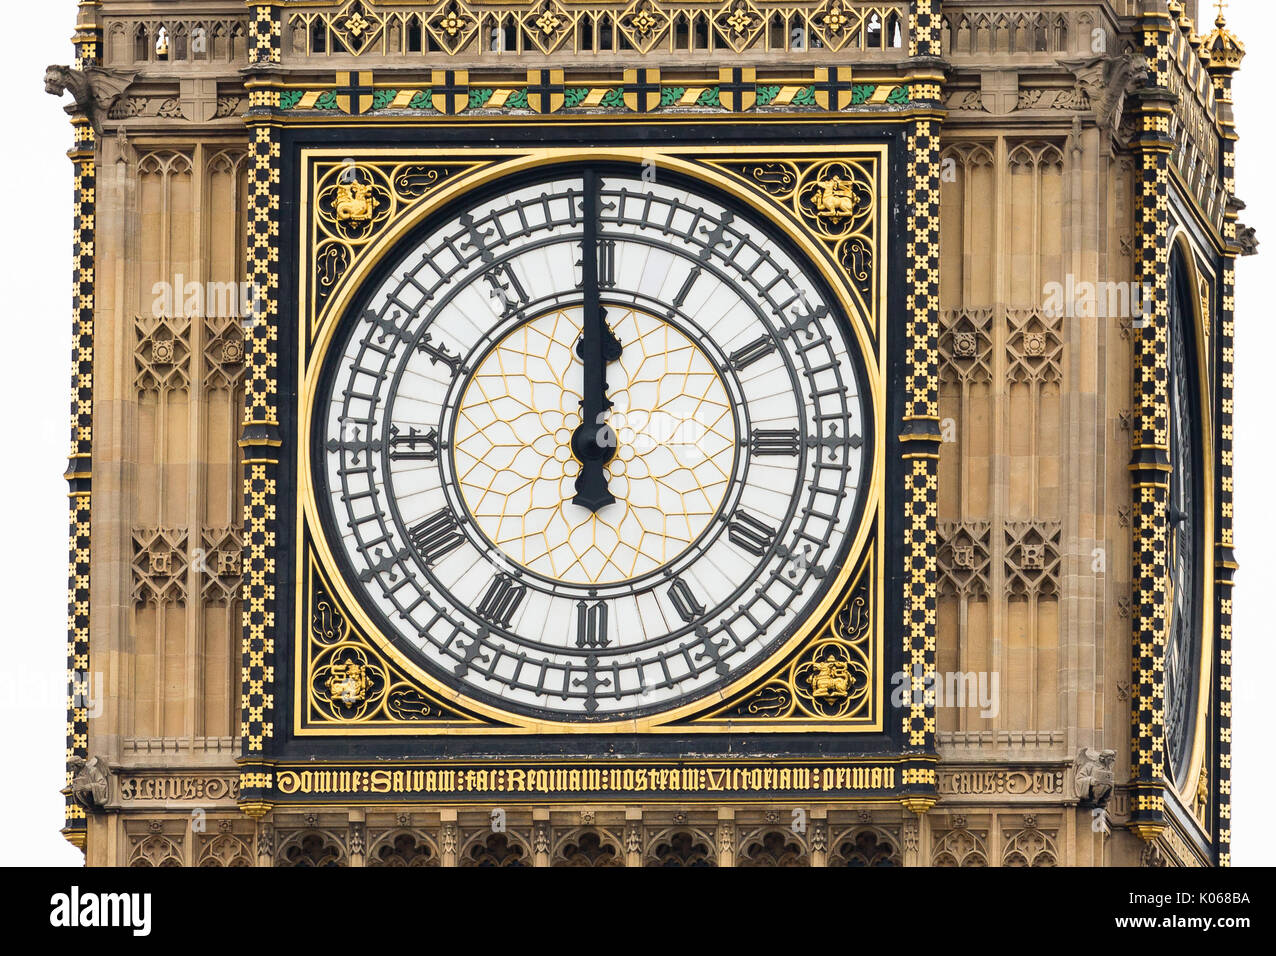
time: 11:59
